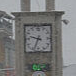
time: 9:34
